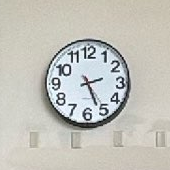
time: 2:26
